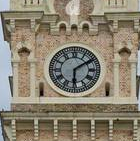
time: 6:09
